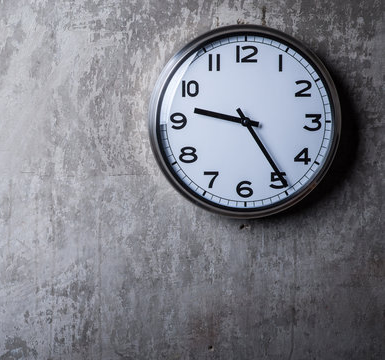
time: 9:24
